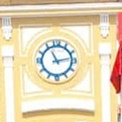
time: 11:13
